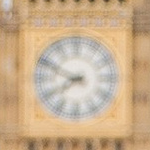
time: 7:49
